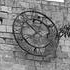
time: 7:52
